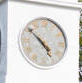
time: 4:52
